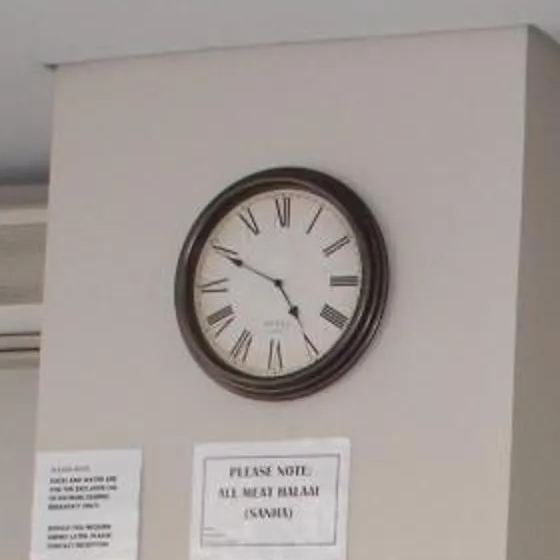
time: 4:49
